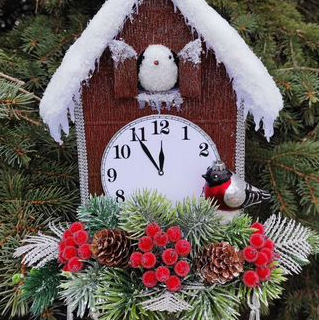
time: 11:54
